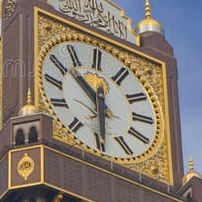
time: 10:29
